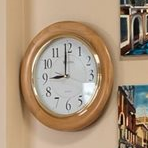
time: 8:59
